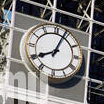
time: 8:03
